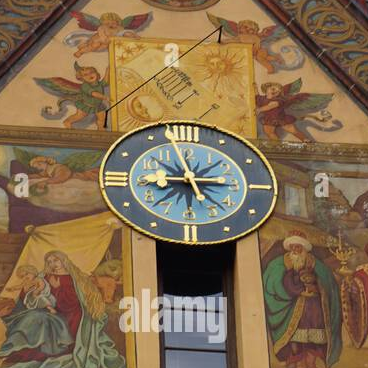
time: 5:15
